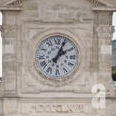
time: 2:04
